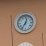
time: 12:35
